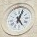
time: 5:03
